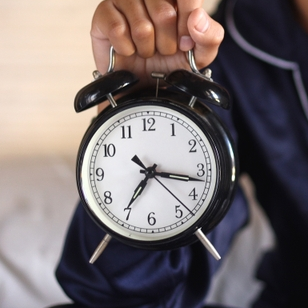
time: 7:17
